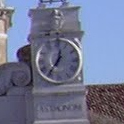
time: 12:36
